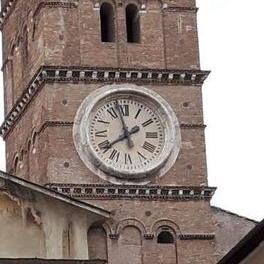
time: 7:57
